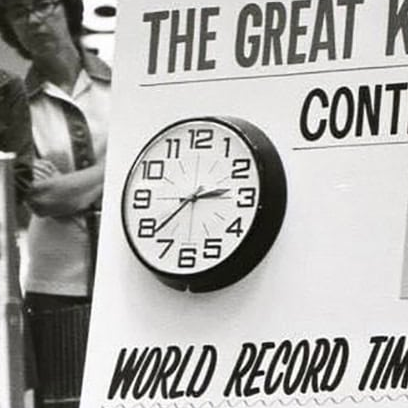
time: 2:38
